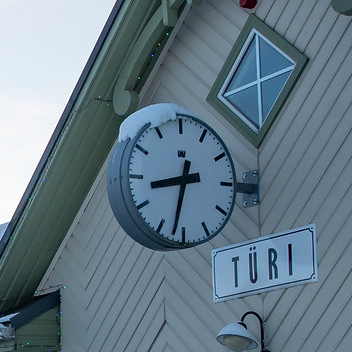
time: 8:32
